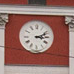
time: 3:11
